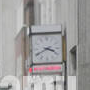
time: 3:40
